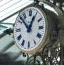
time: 12:52
